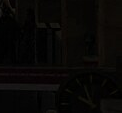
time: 9:56
